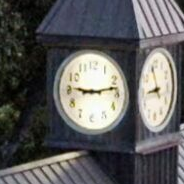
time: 9:12
